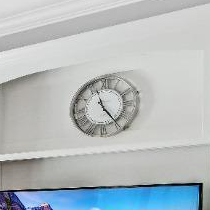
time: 11:24
